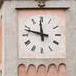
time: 11:47
